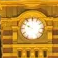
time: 9:50
